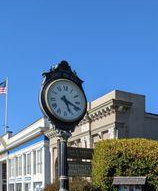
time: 5:18
